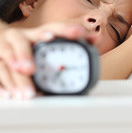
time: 7:15
